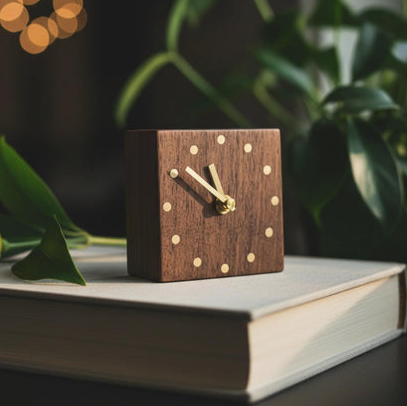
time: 10:50
